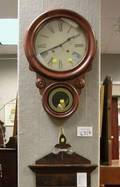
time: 8:09
